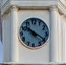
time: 10:20
